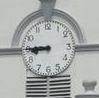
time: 8:45
